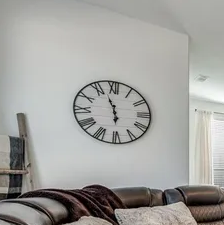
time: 5:56
